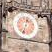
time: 12:32
